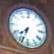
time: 7:33
